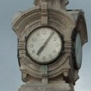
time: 7:06
